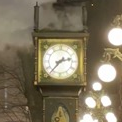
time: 2:36
